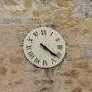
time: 4:21
